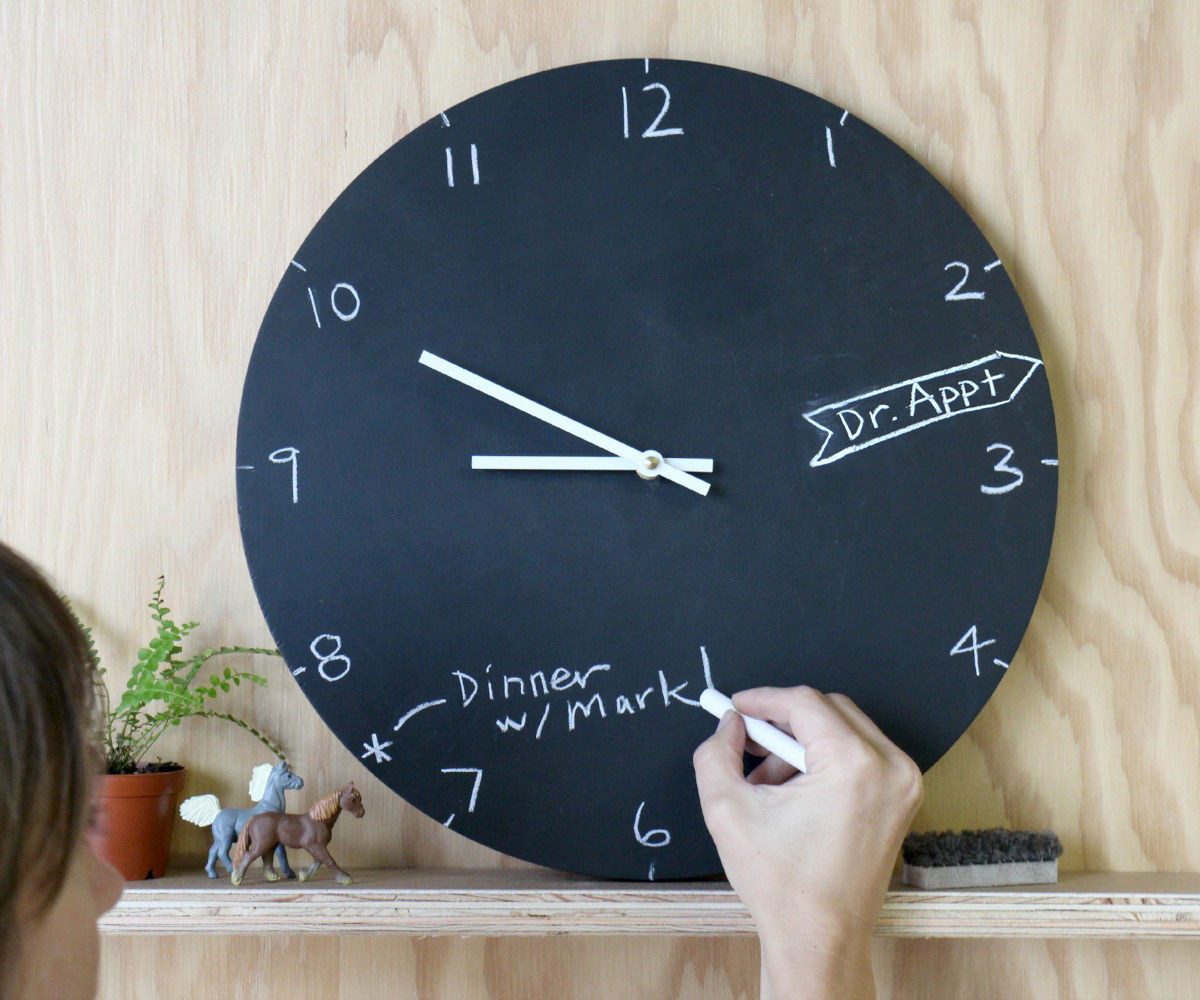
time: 8:49
